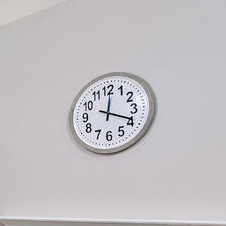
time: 12:18
